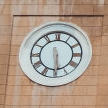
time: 5:29
